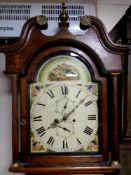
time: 8:07
